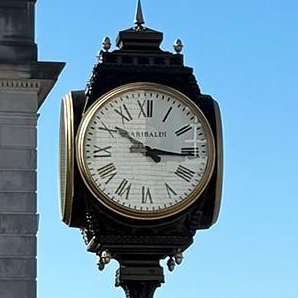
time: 10:15
